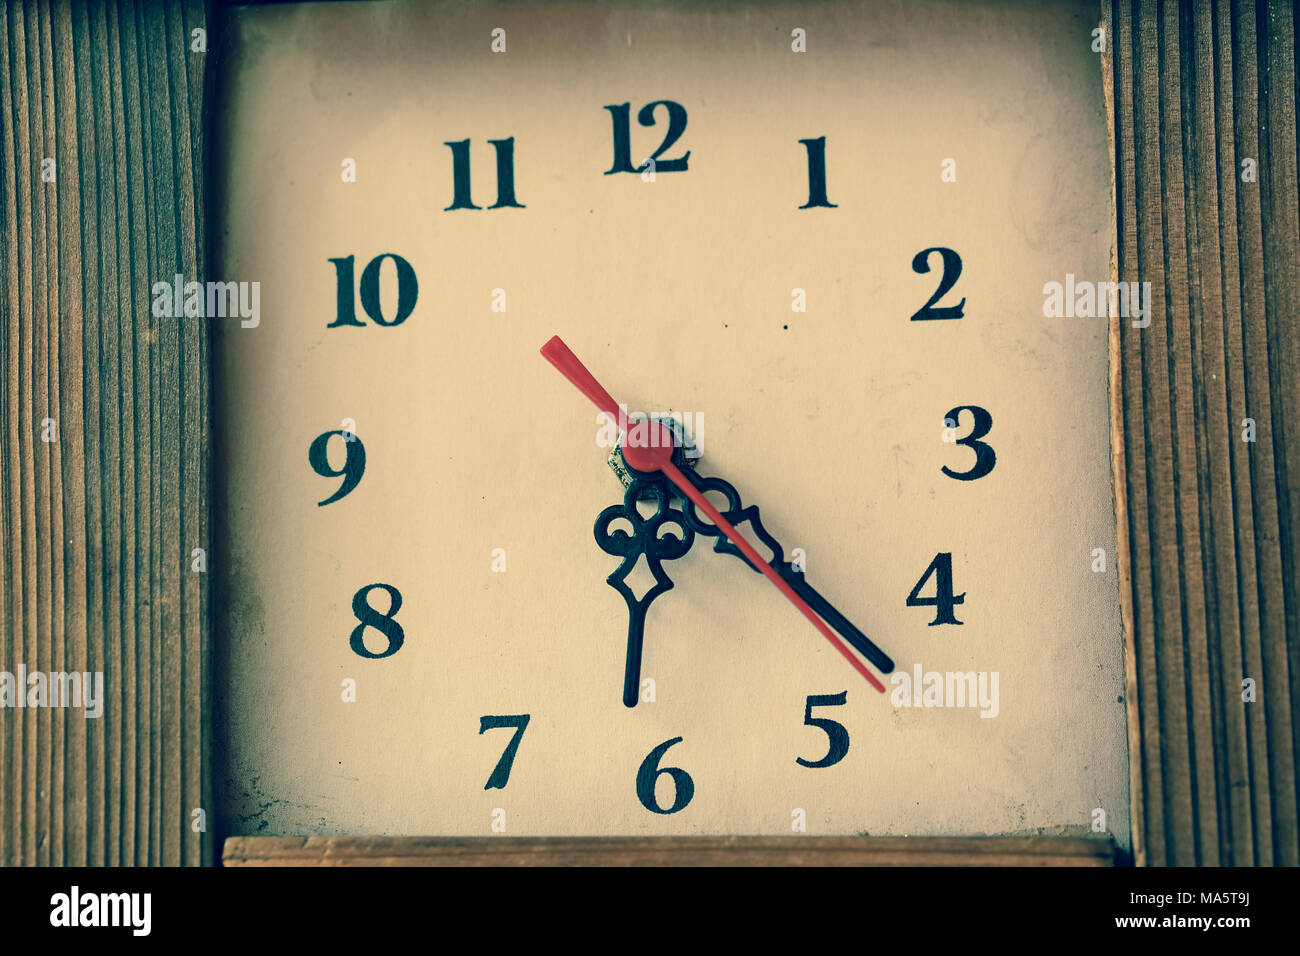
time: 6:22
